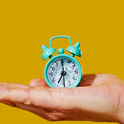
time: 7:00
